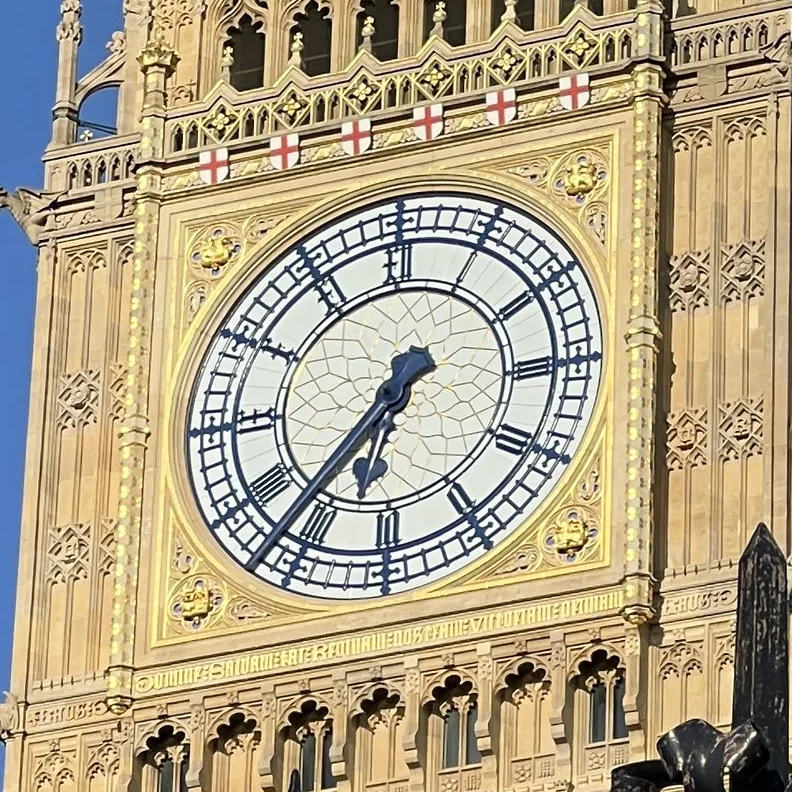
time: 6:36
